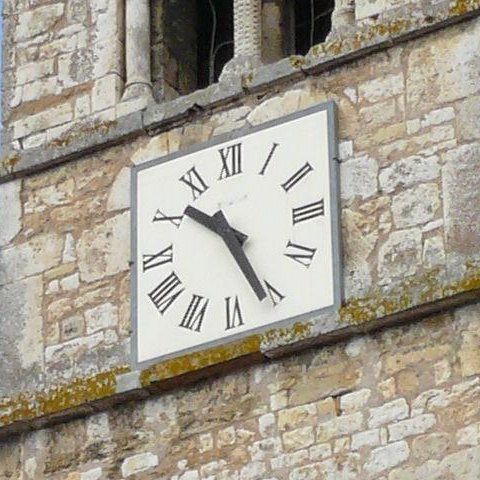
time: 10:26
